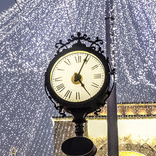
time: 5:04
